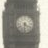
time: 4:31
